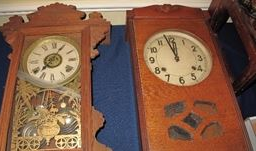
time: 11:57
